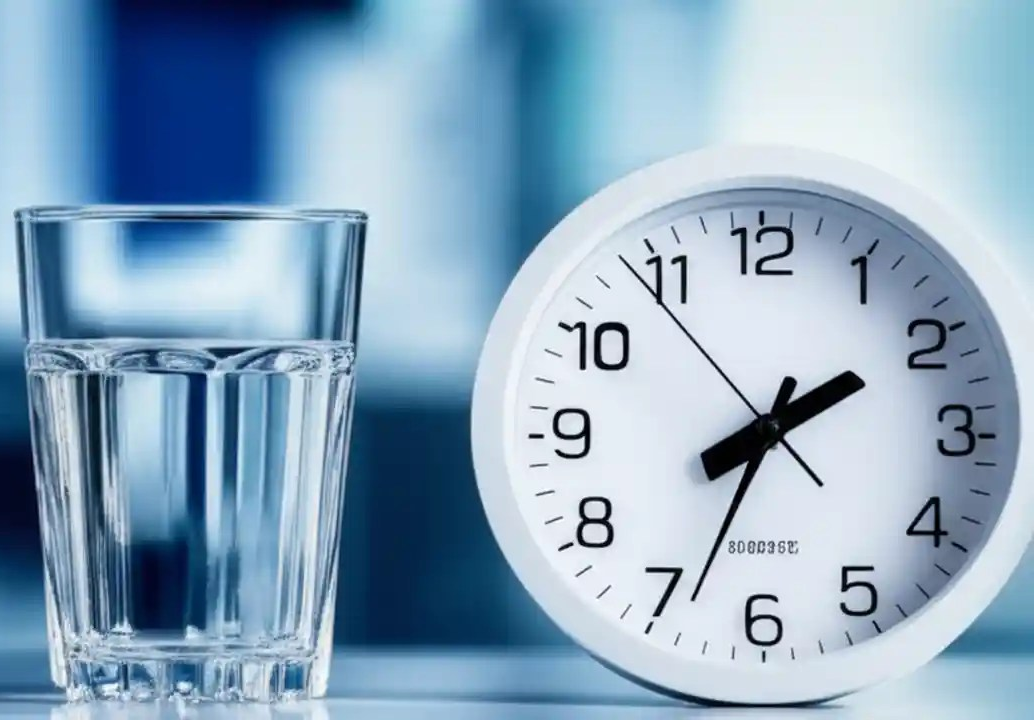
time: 7:33
